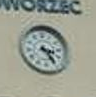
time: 3:24
